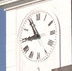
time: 8:54
